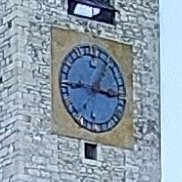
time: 2:45
